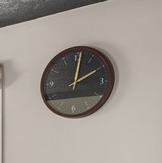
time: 2:01
